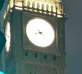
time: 8:23
